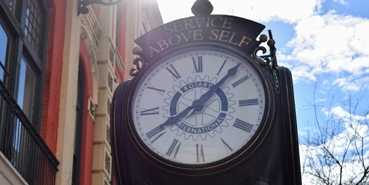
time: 8:07
